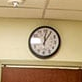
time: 12:05
